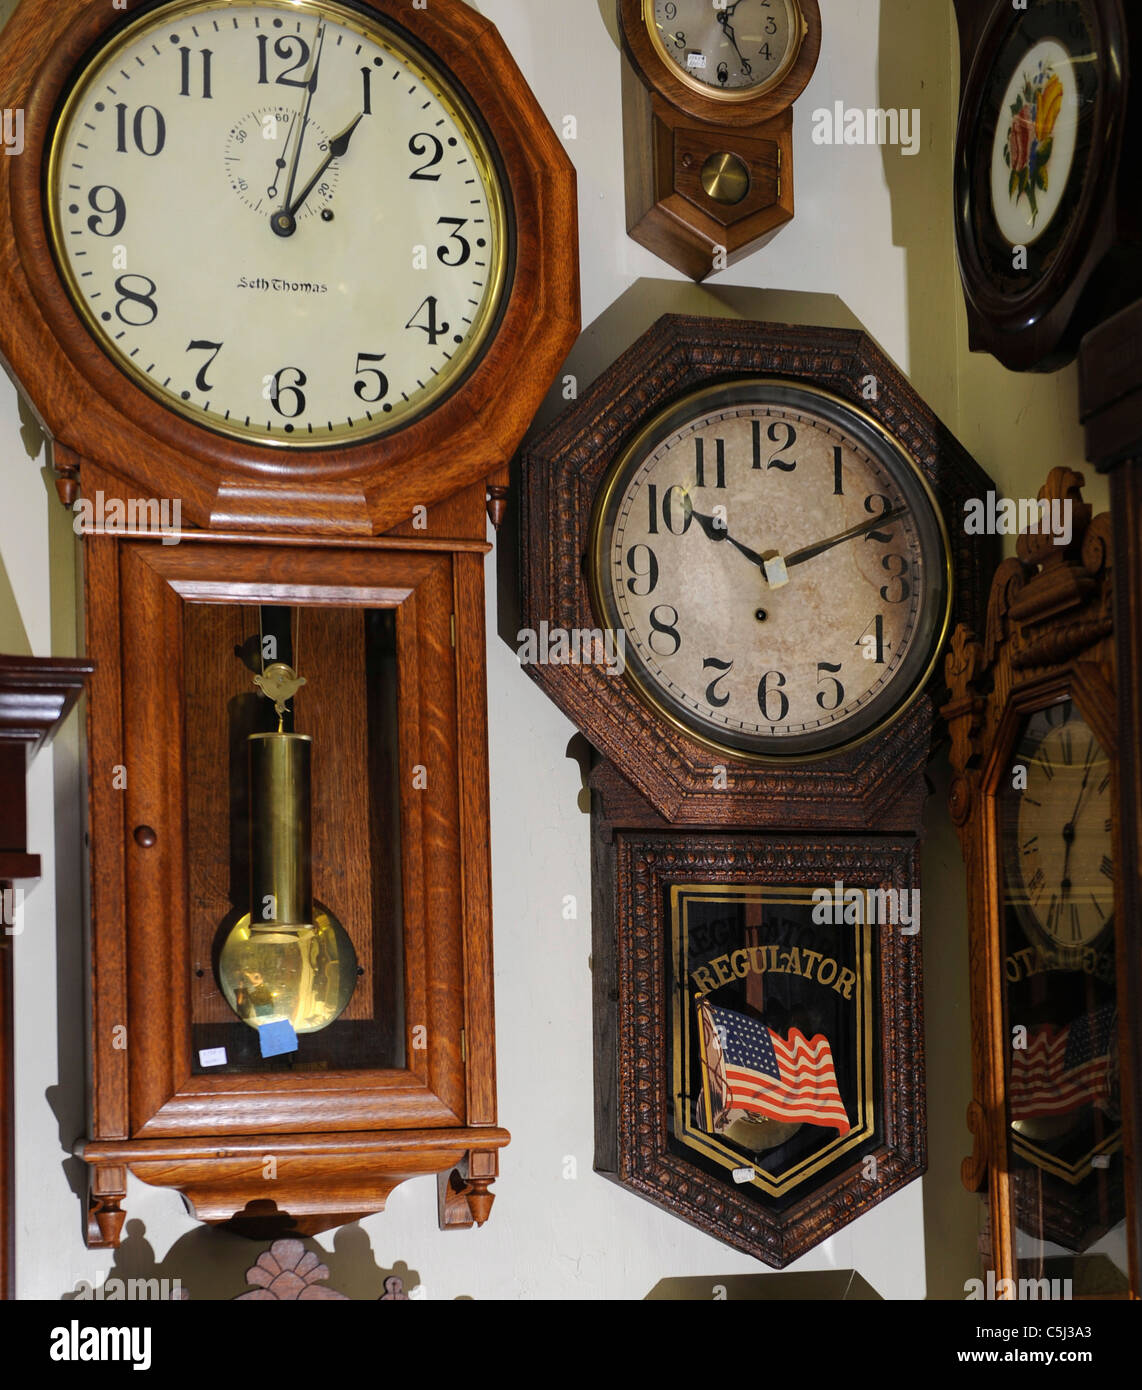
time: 1:02
